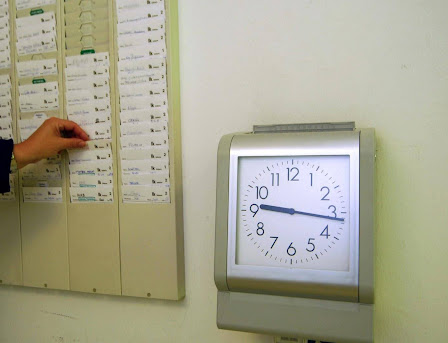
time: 9:16
